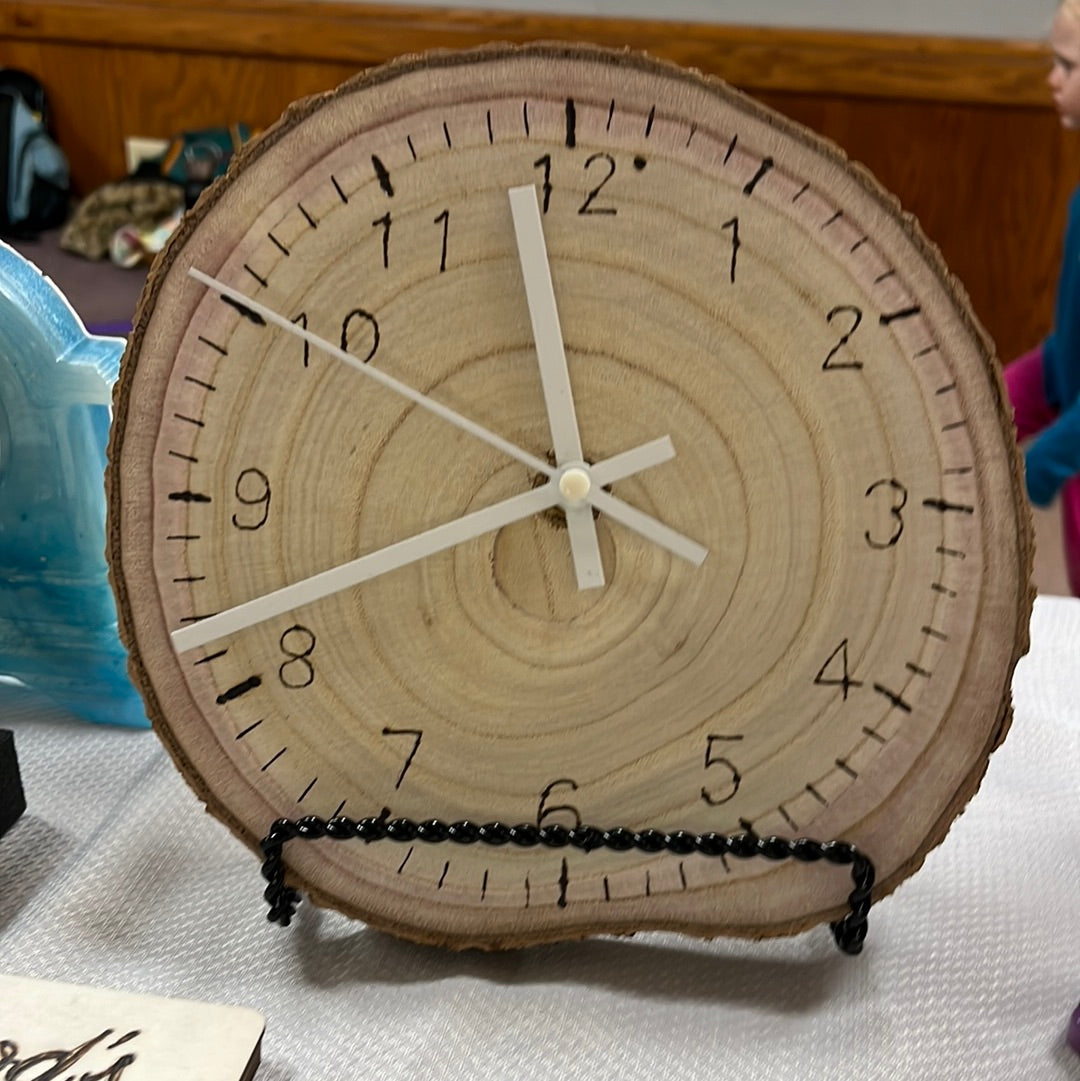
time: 3:41
